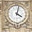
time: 4:02
